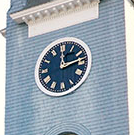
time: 12:13
